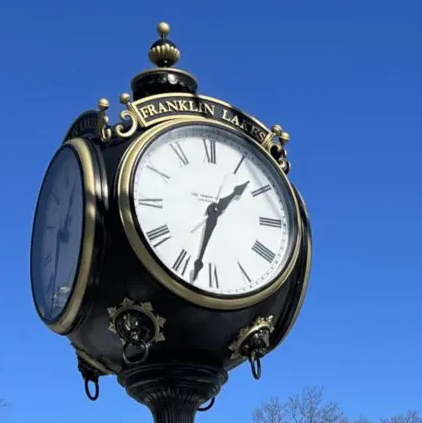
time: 1:32
